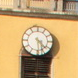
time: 4:28
